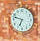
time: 6:47
